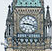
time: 9:18
